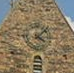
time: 4:07
